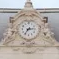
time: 2:36
